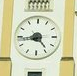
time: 4:43
